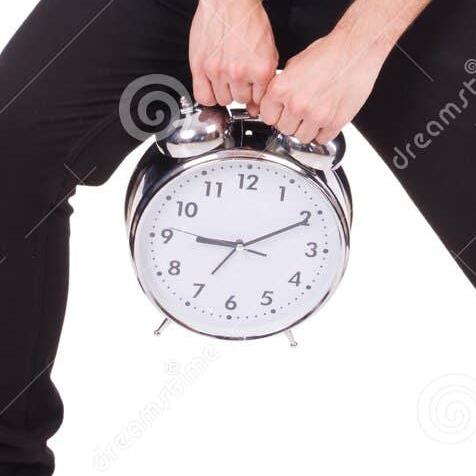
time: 9:10
